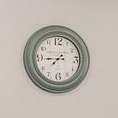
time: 7:44
